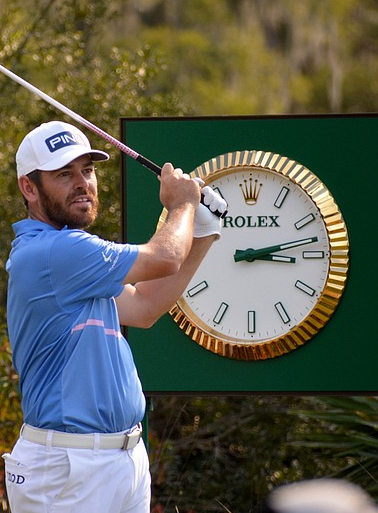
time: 3:12
